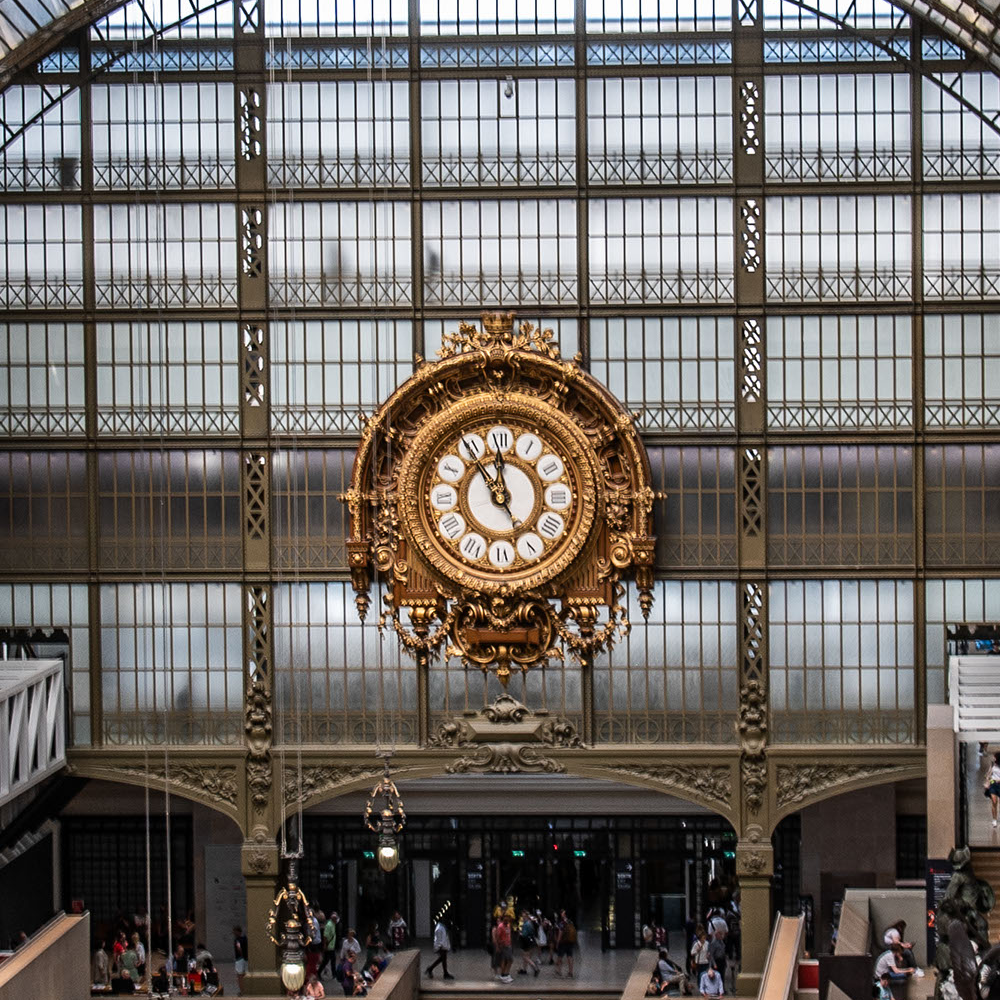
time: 11:54
